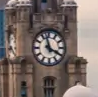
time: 3:57
